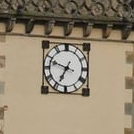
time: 6:48
